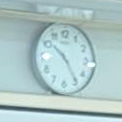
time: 10:24
